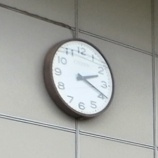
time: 2:18
